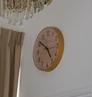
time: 4:50
